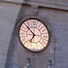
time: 6:52
